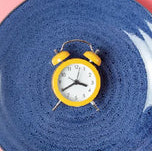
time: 3:39
